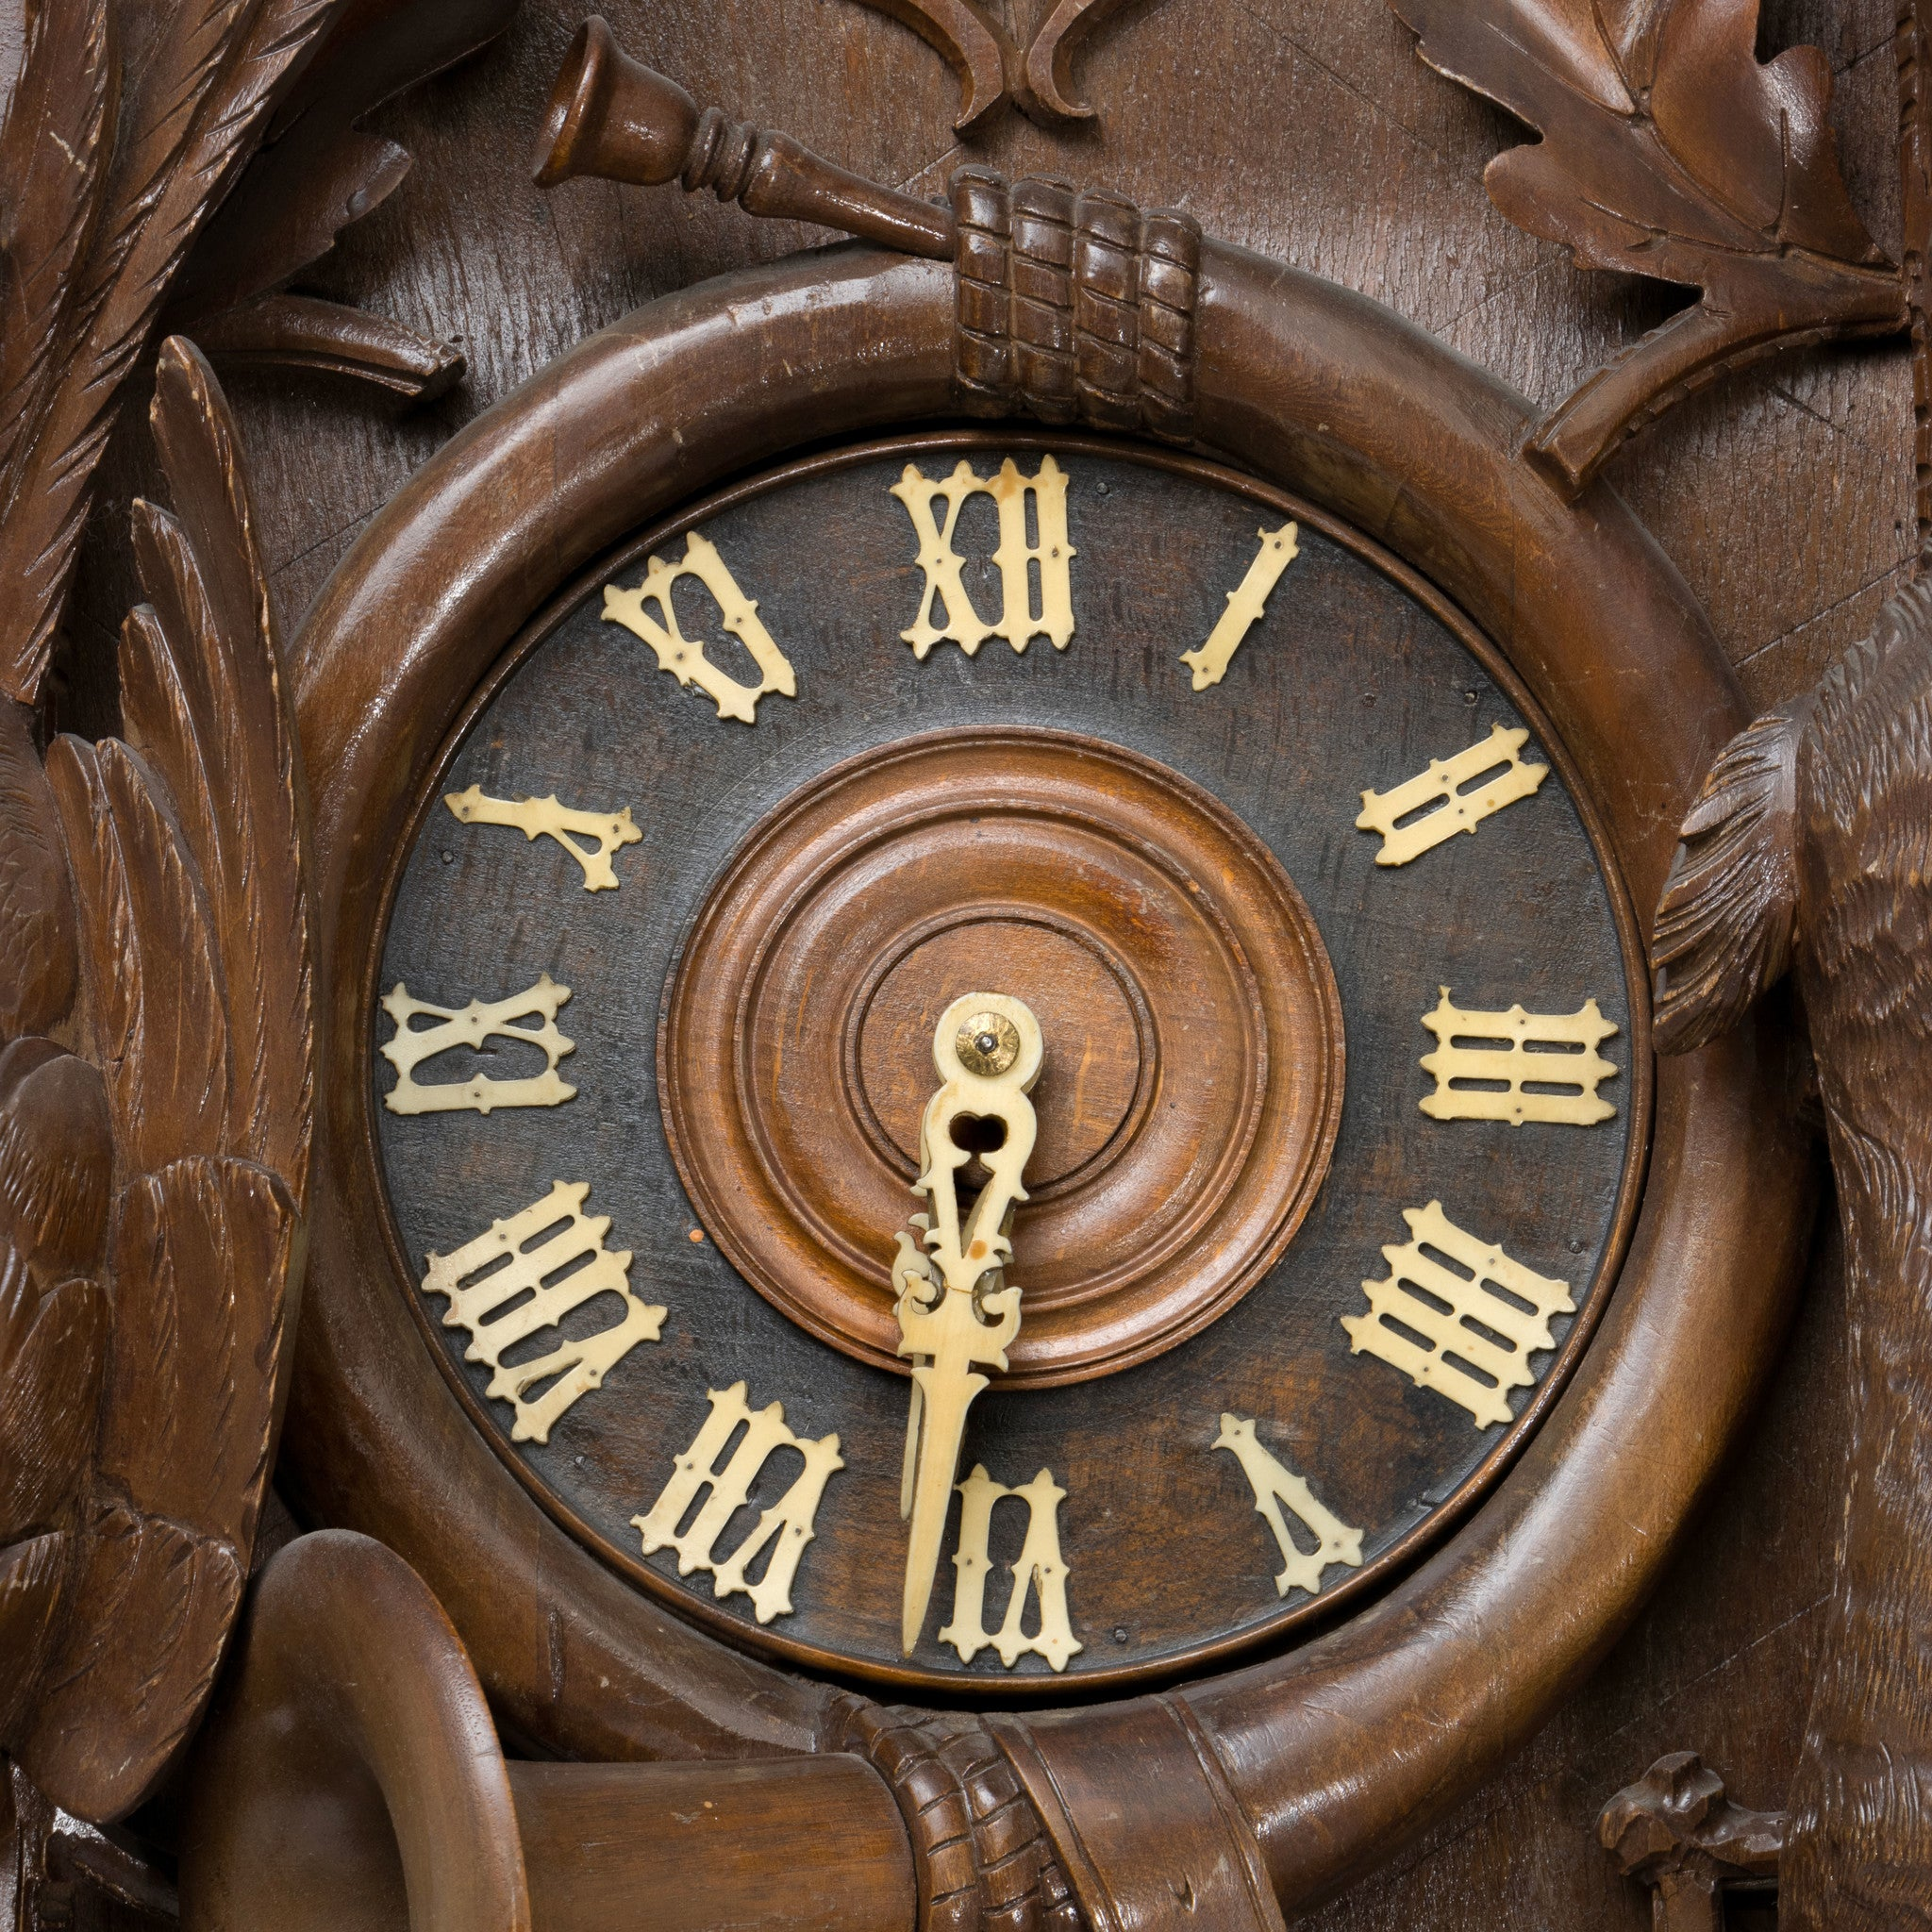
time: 6:31
